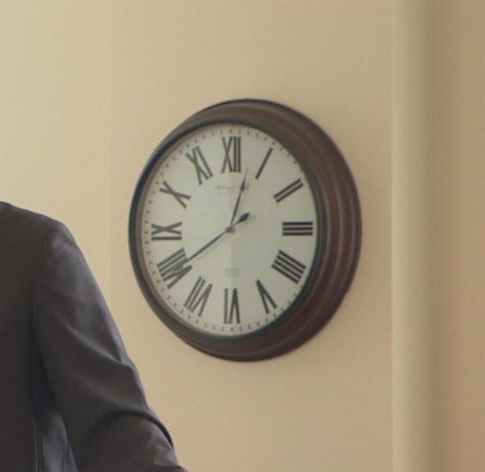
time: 12:39
